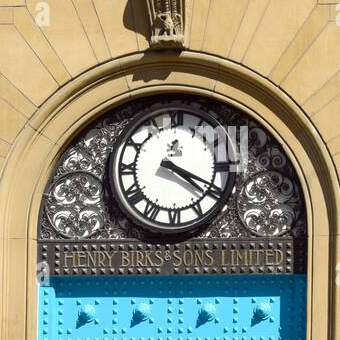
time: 4:19
